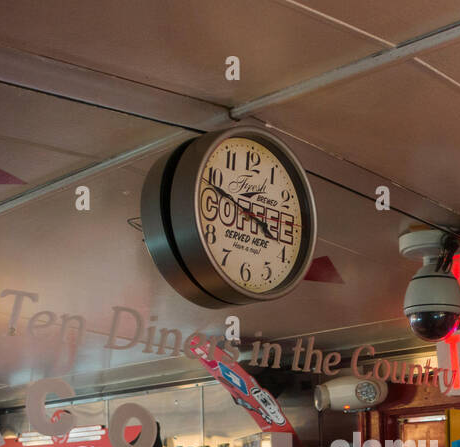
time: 3:48
